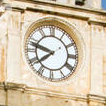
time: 7:47
